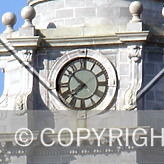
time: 7:51
